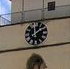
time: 12:07
